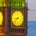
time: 8:38
